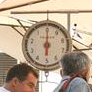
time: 6:00
